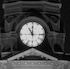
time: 11:00
